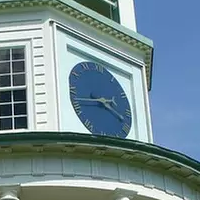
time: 3:43
